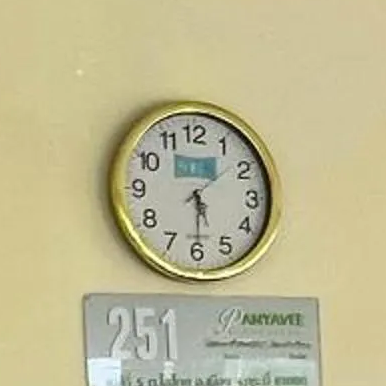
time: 5:30
